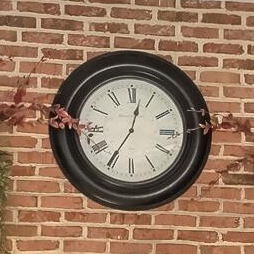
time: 12:35
